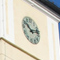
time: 10:12
